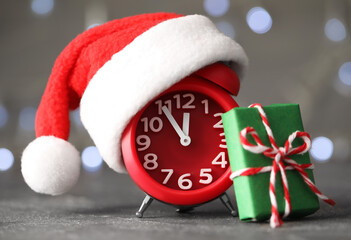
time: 11:54
